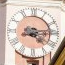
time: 4:13
